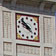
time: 9:52
